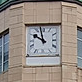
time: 9:57
